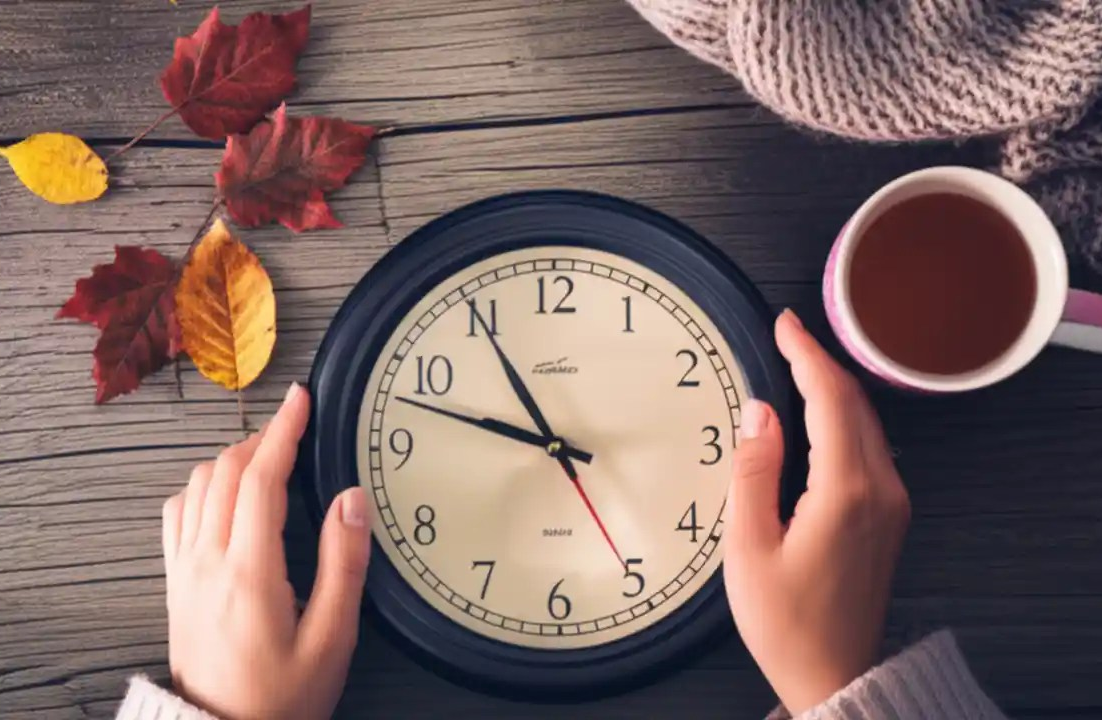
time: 10:47
